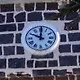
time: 10:00
